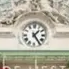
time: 1:24
